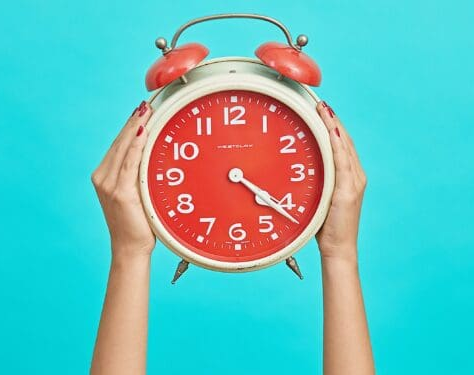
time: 4:21
